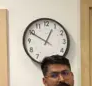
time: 12:49
